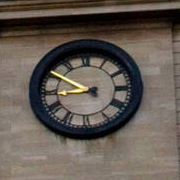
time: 8:50
